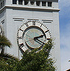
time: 2:19
